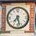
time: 7:27
